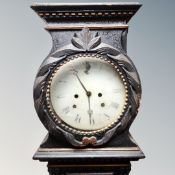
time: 5:55
